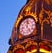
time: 12:24
